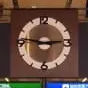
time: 2:46
